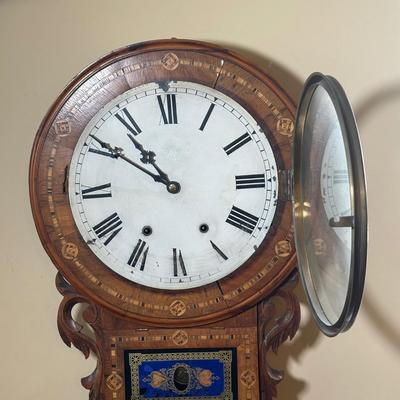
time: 10:50
